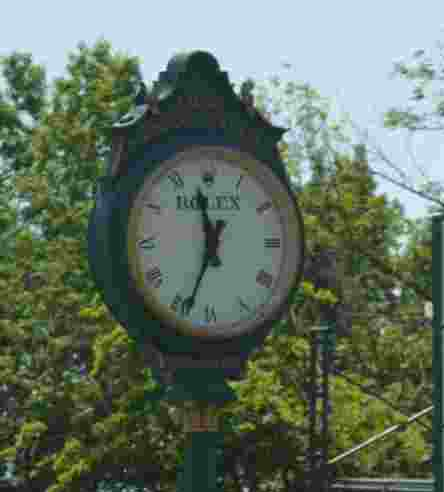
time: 11:34
